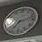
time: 7:12
